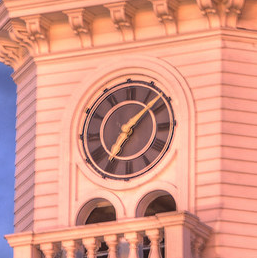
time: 7:08
